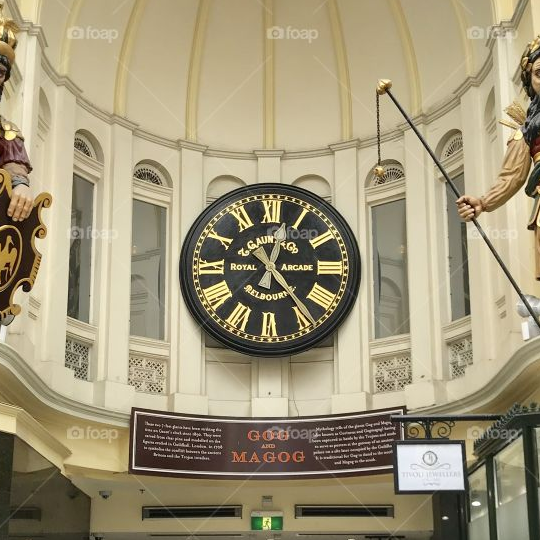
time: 12:23
